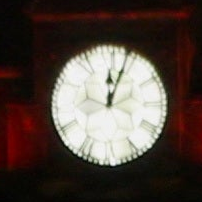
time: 12:03
